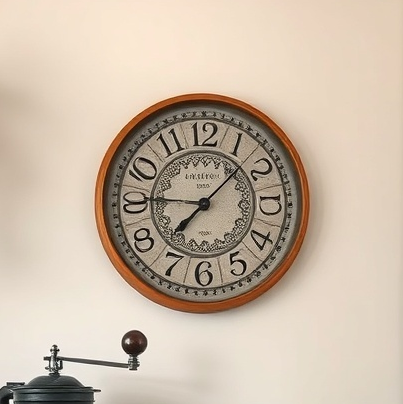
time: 9:07
